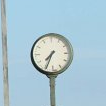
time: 7:34
